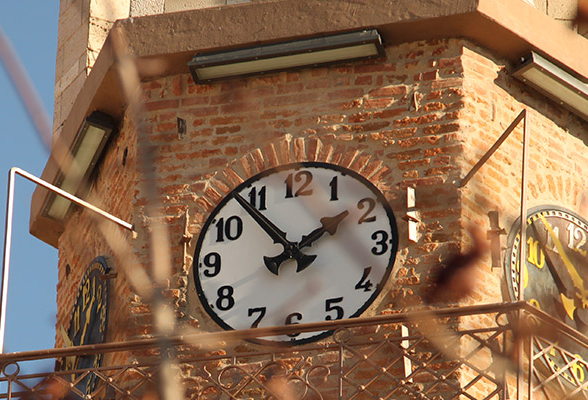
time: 1:53
